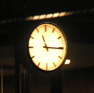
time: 11:15
